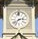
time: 2:38
